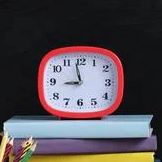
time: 8:58
